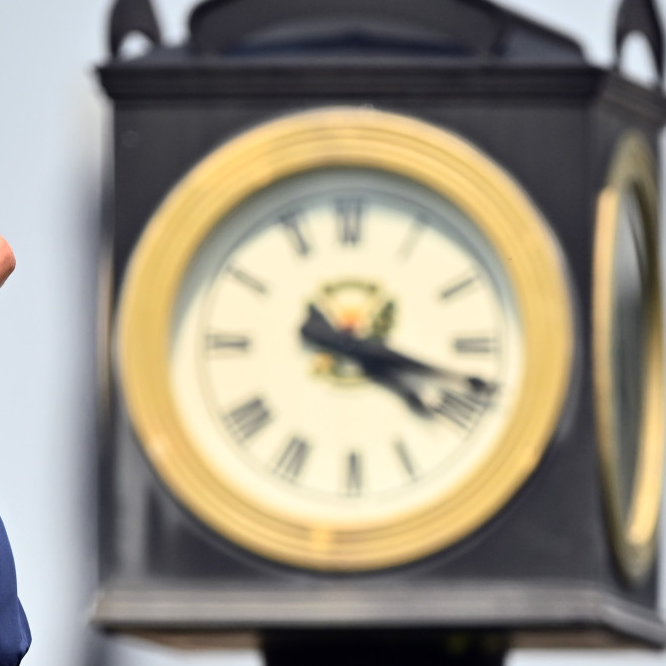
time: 4:17
